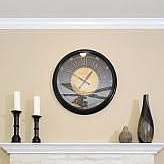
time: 10:06
